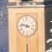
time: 3:47
